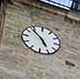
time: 4:52
